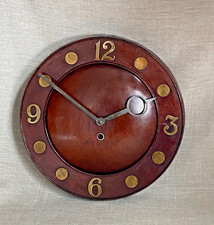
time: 1:50
